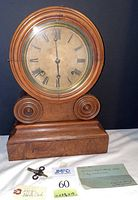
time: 5:59
